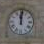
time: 12:00
